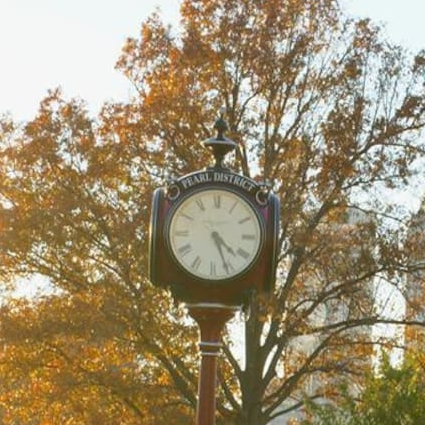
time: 4:26
